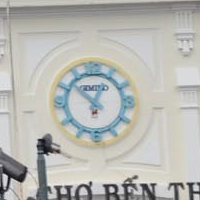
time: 12:52
